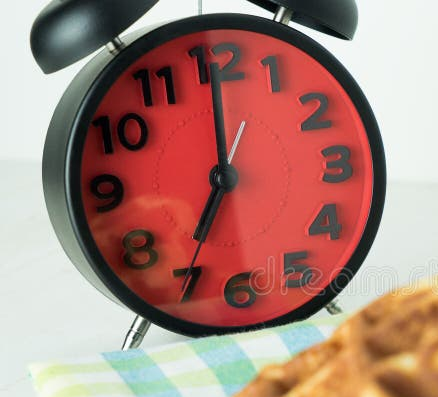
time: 7:00
